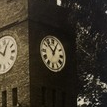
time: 12:52
